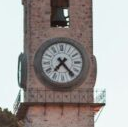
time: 7:23
